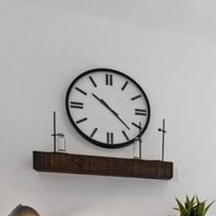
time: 10:22
